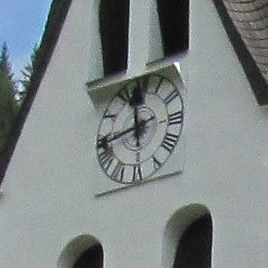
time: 11:43
